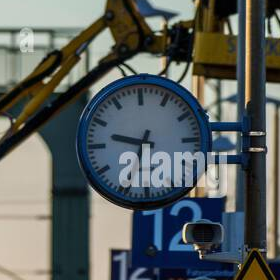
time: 9:31
